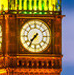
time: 7:36
